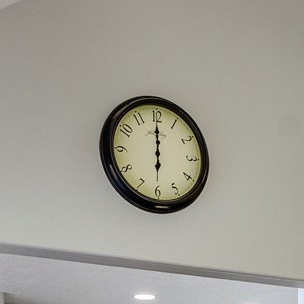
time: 5:59
